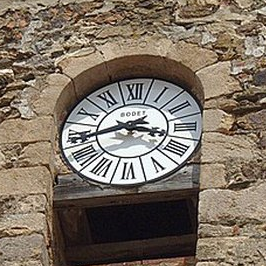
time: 3:43
